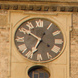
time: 6:50
